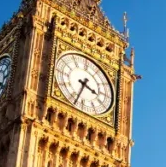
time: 3:33
